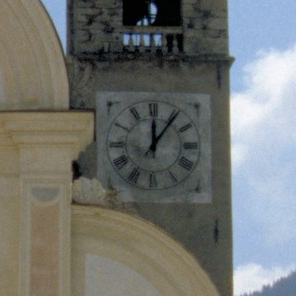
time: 12:06
